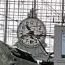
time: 10:41
